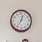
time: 12:36
